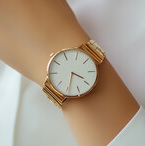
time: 3:34
